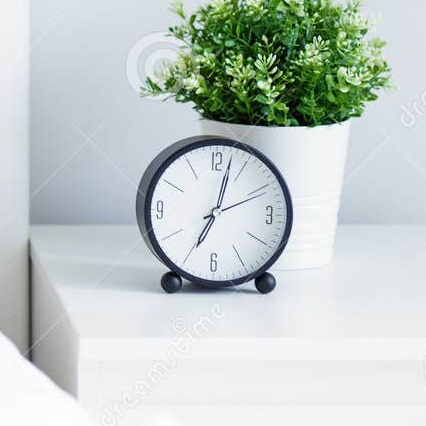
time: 7:02
